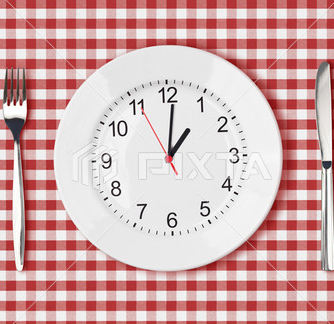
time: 1:00
